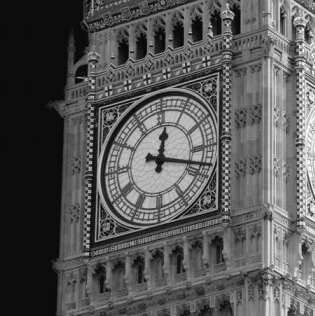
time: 12:18
